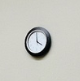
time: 3:58
